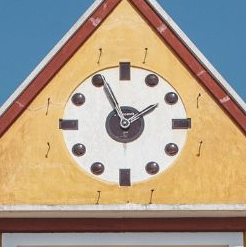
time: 1:55
